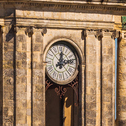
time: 12:12
